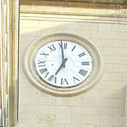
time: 6:59
